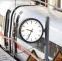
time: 9:34
